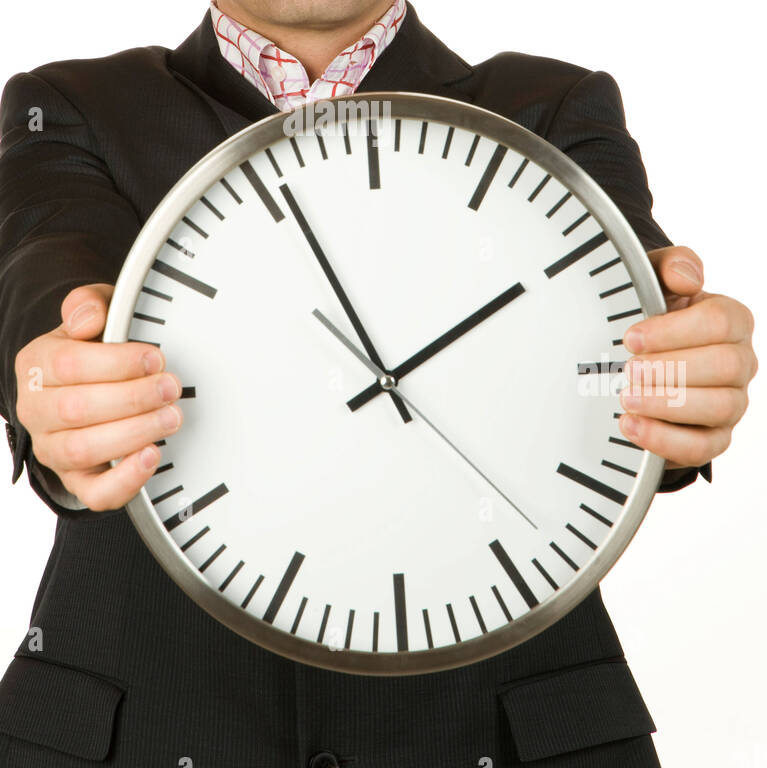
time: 1:55
